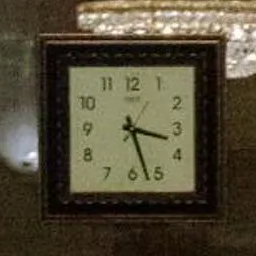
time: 3:26
